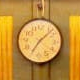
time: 7:07
